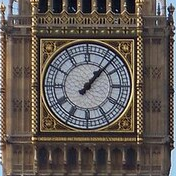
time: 1:07
